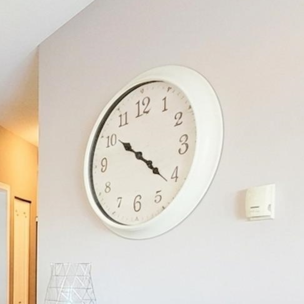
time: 4:21
